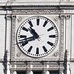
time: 10:42
